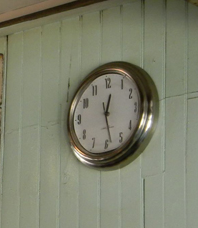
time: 12:28
